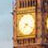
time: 7:18
